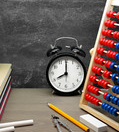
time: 8:00
